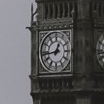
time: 12:43
